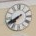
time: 7:40
